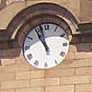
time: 10:57
